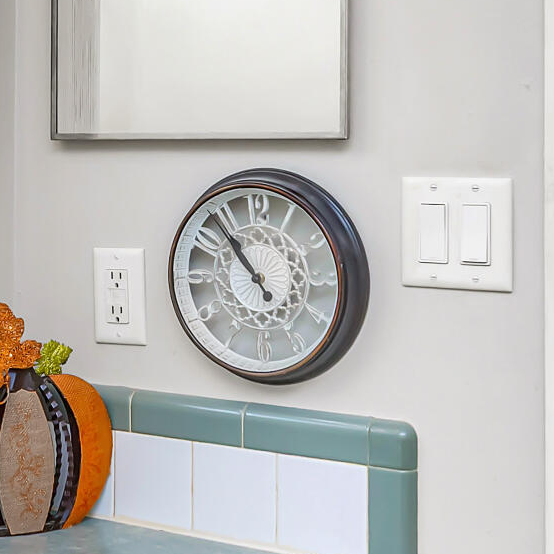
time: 10:53
